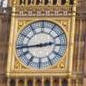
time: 2:43
